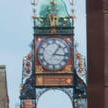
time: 1:16
